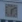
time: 6:08
